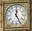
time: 12:24
